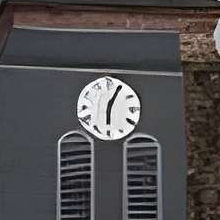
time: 6:04
